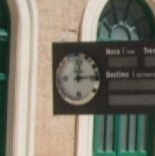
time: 12:14
